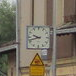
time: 9:42
